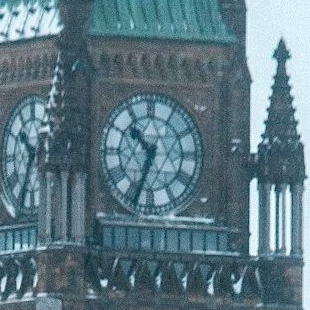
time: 10:34
